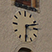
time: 2:29
